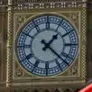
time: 1:22
